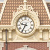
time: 9:35
